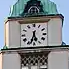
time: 5:33
